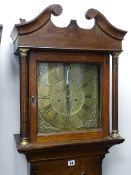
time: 5:59
